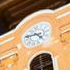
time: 4:42
